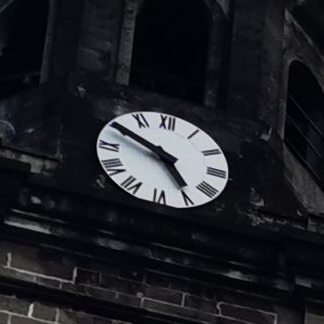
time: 4:49
